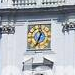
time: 12:34
